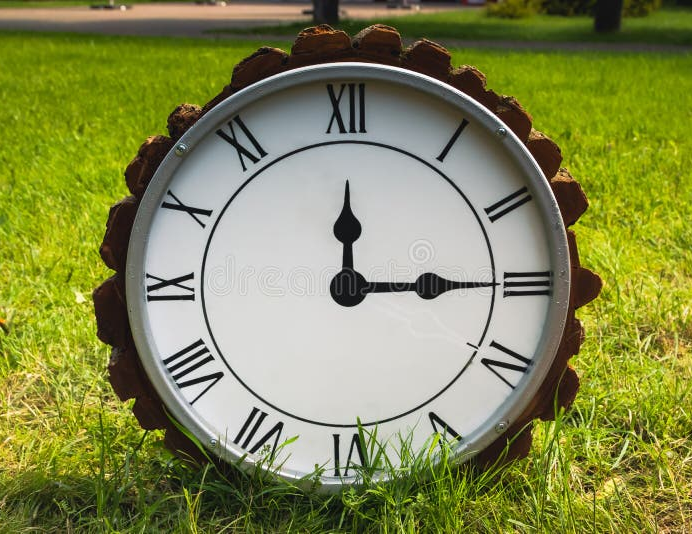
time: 12:14
